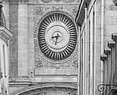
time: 8:32
